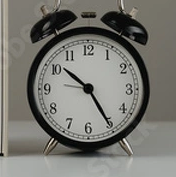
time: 10:25
